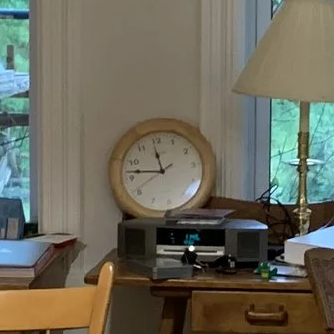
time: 11:46
